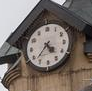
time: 4:37
